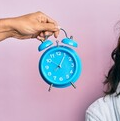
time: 10:05
